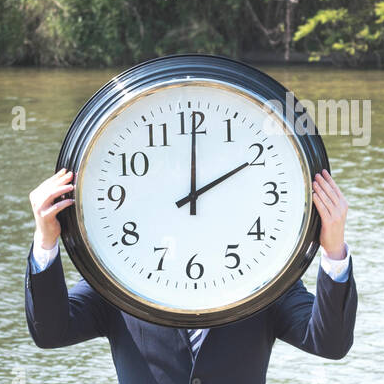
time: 2:00
